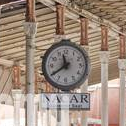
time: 11:39
